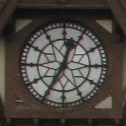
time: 12:34
